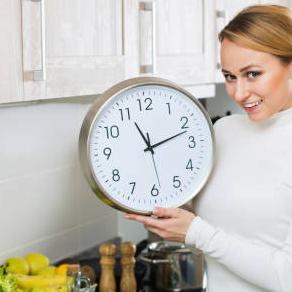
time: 11:12
